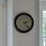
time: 2:23
